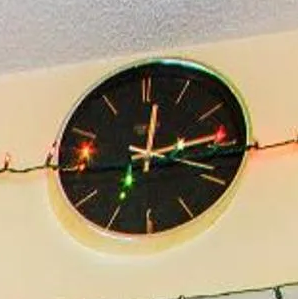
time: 12:13
